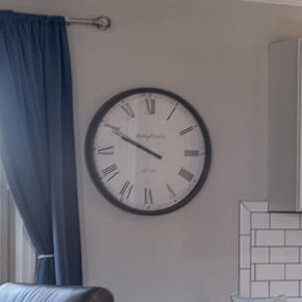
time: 9:49
